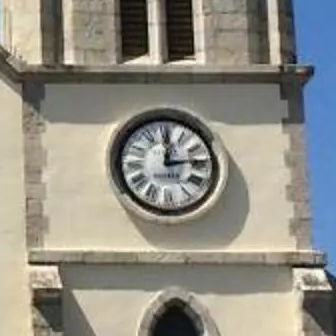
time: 12:13
